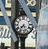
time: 7:27
